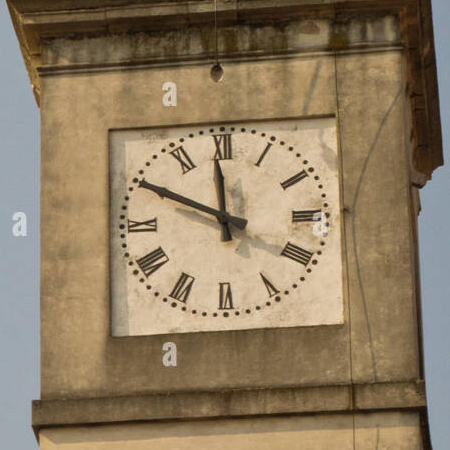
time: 11:49
